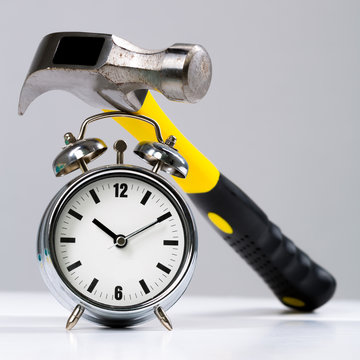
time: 10:10
